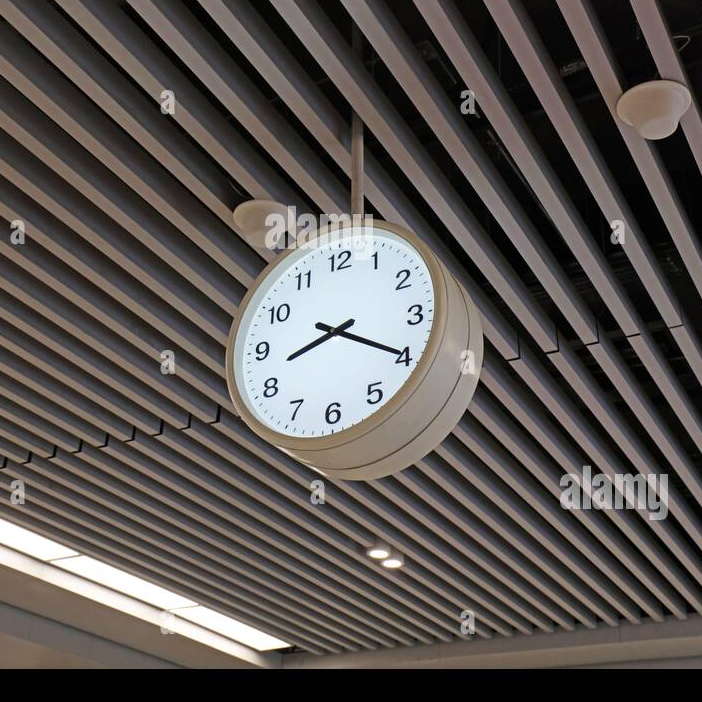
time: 8:19
